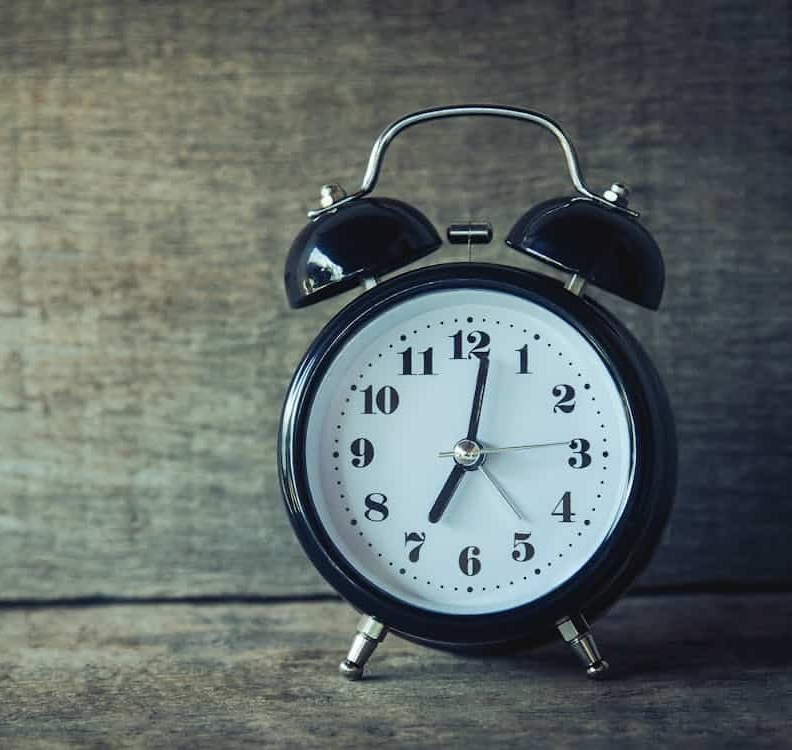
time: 7:01
